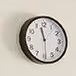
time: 11:29
